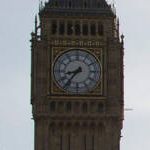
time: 8:36
